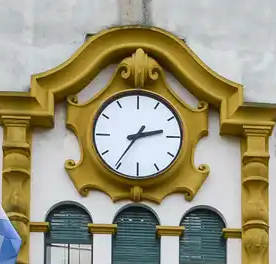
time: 2:35
